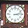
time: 3:12
